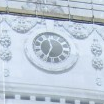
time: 11:32
